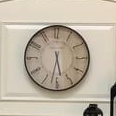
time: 5:32
